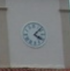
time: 4:07
